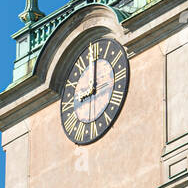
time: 7:59
